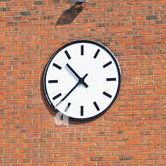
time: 10:37
